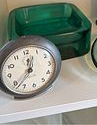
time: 12:37
